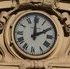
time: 1:59
